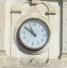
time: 10:50
